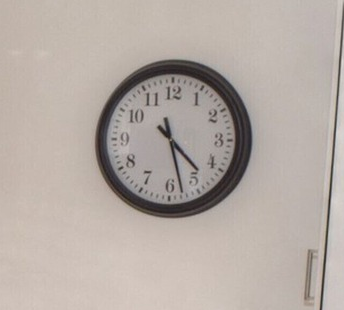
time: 4:27
